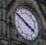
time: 3:50
